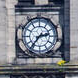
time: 2:36
